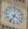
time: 3:34
